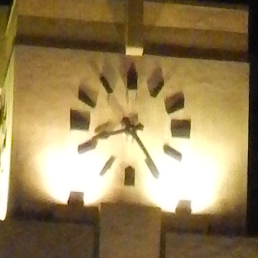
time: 8:24
